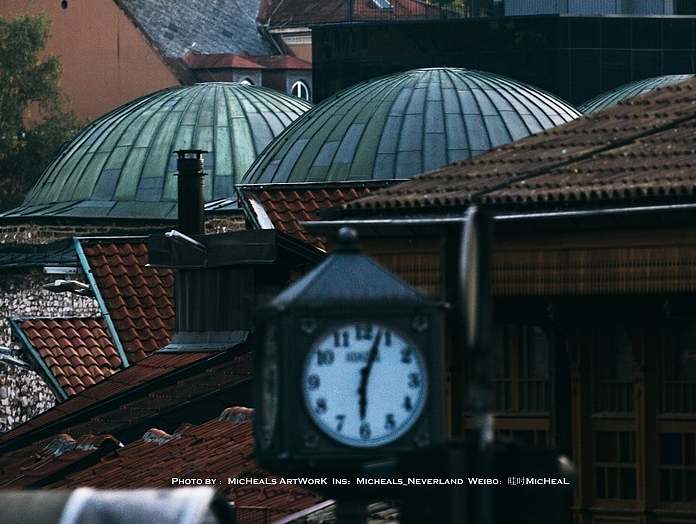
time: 6:03
